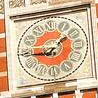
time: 1:44
